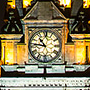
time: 10:46
